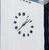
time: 1:37
